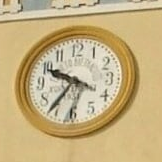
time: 9:36
